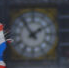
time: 1:54
